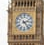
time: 2:23
